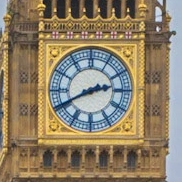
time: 2:40
